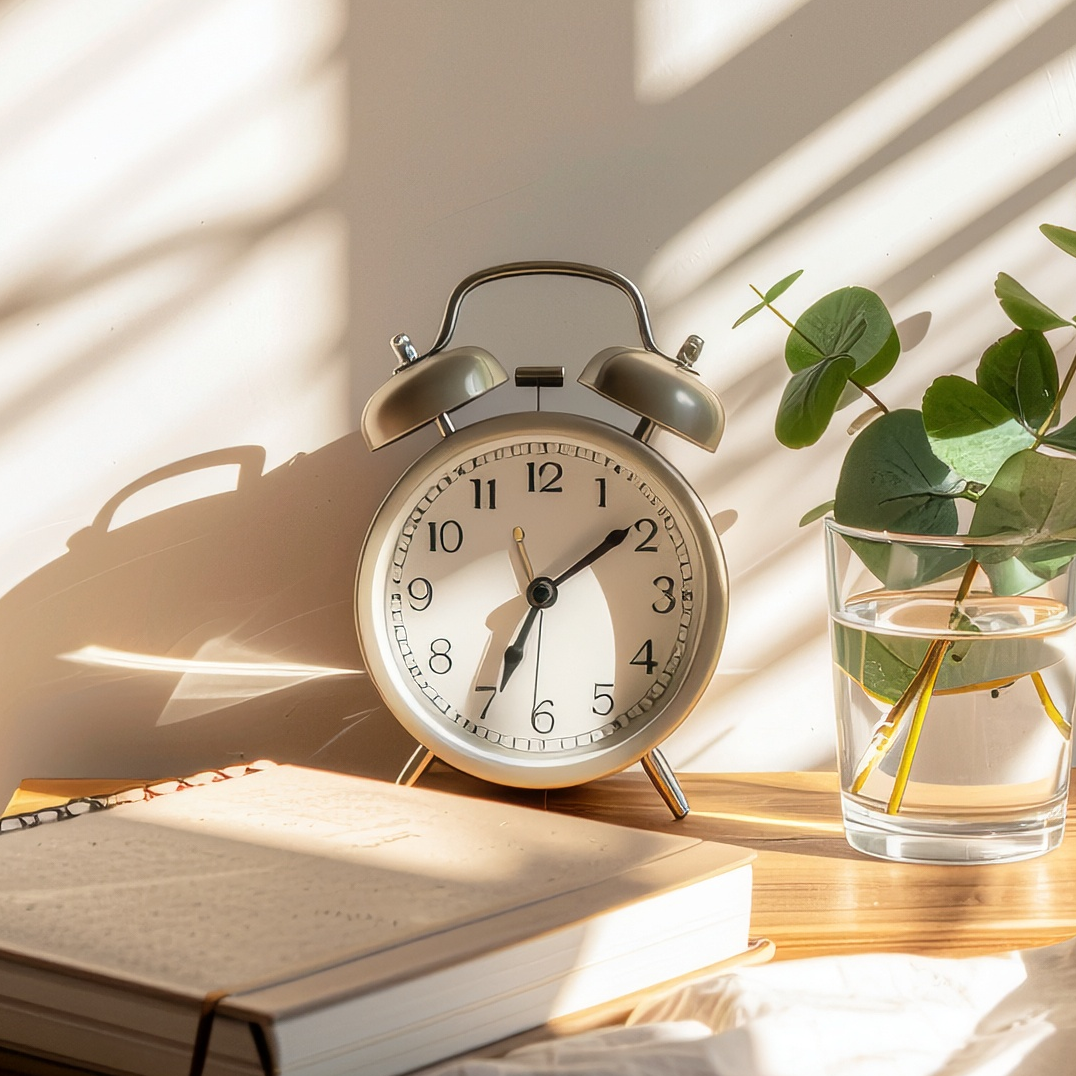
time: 1:34
